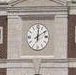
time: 12:09
